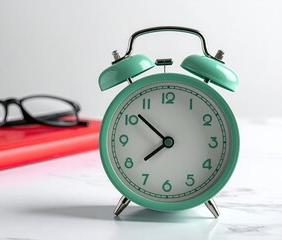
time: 7:52
